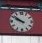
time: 9:51
